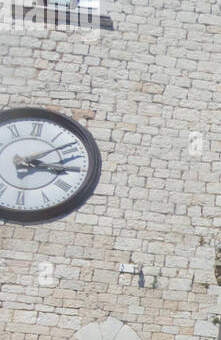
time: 3:09
